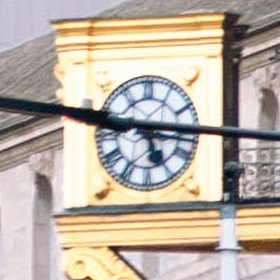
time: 5:15
